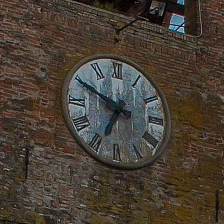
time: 6:49
